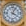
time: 4:04
